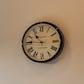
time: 10:45
